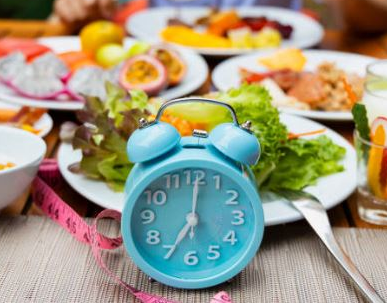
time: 7:00
